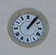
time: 1:06
